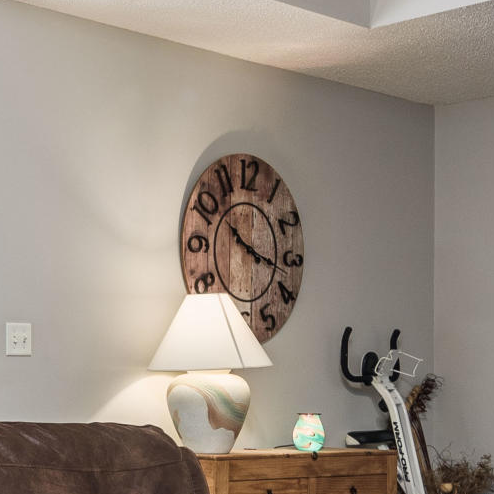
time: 10:17
